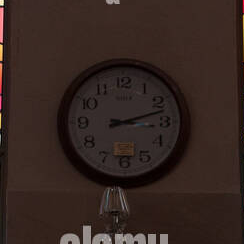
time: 3:12
